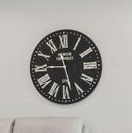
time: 11:28
